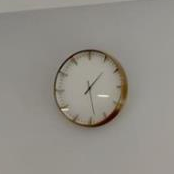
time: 1:28
